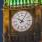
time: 10:05
